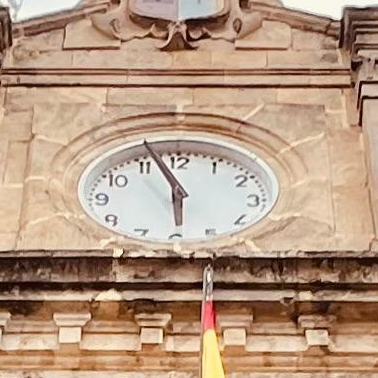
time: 5:56
